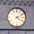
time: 4:10
